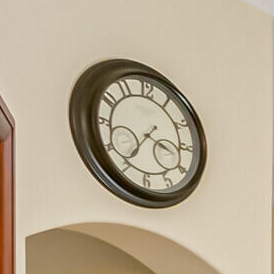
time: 3:35
